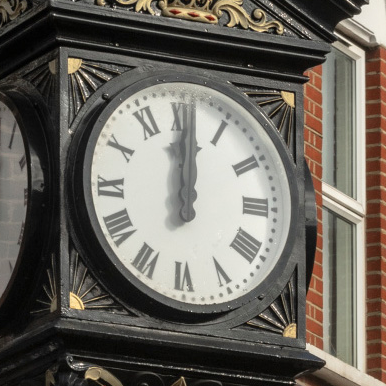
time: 12:00
